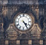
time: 4:24
